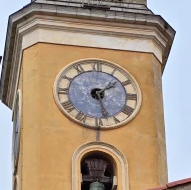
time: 1:27
